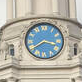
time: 3:39
